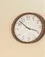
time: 3:52
